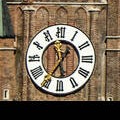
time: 5:35
